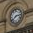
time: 2:38
